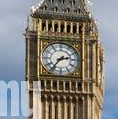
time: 2:36
